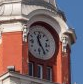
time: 11:24
